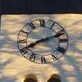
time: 8:11
